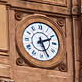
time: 2:25
